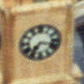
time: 7:17
